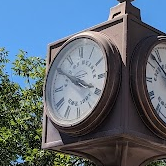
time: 3:50
